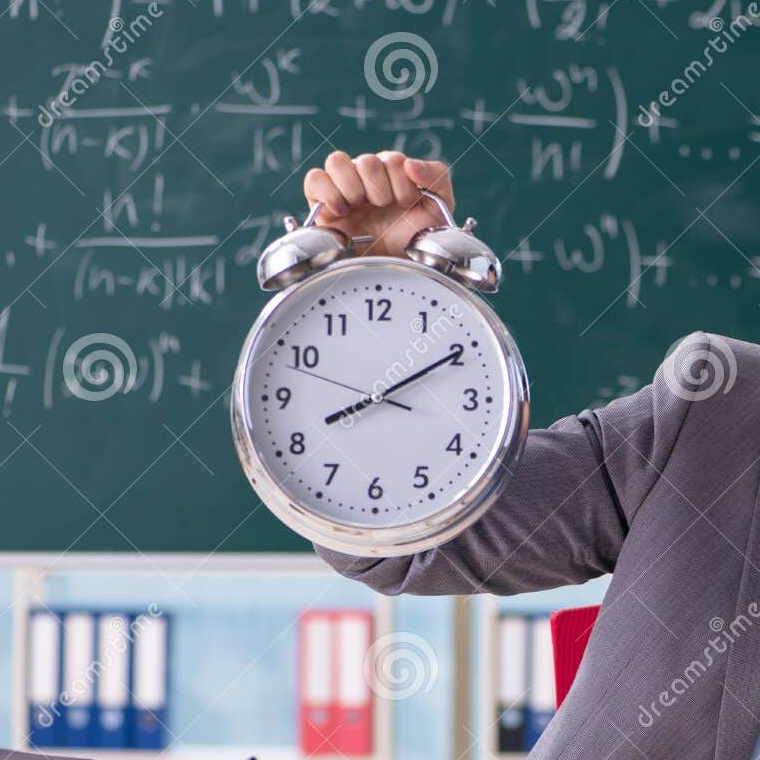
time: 8:09
